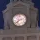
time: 7:12
